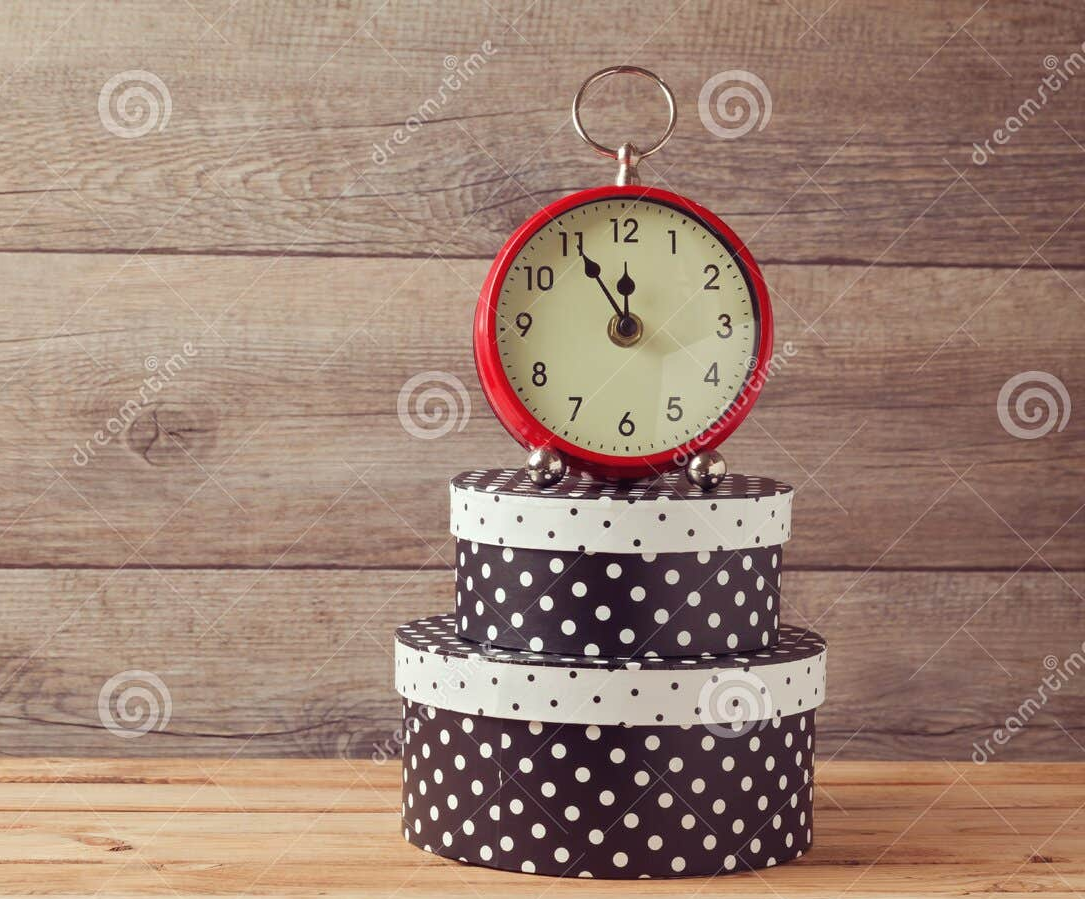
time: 11:55
